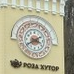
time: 3:40
